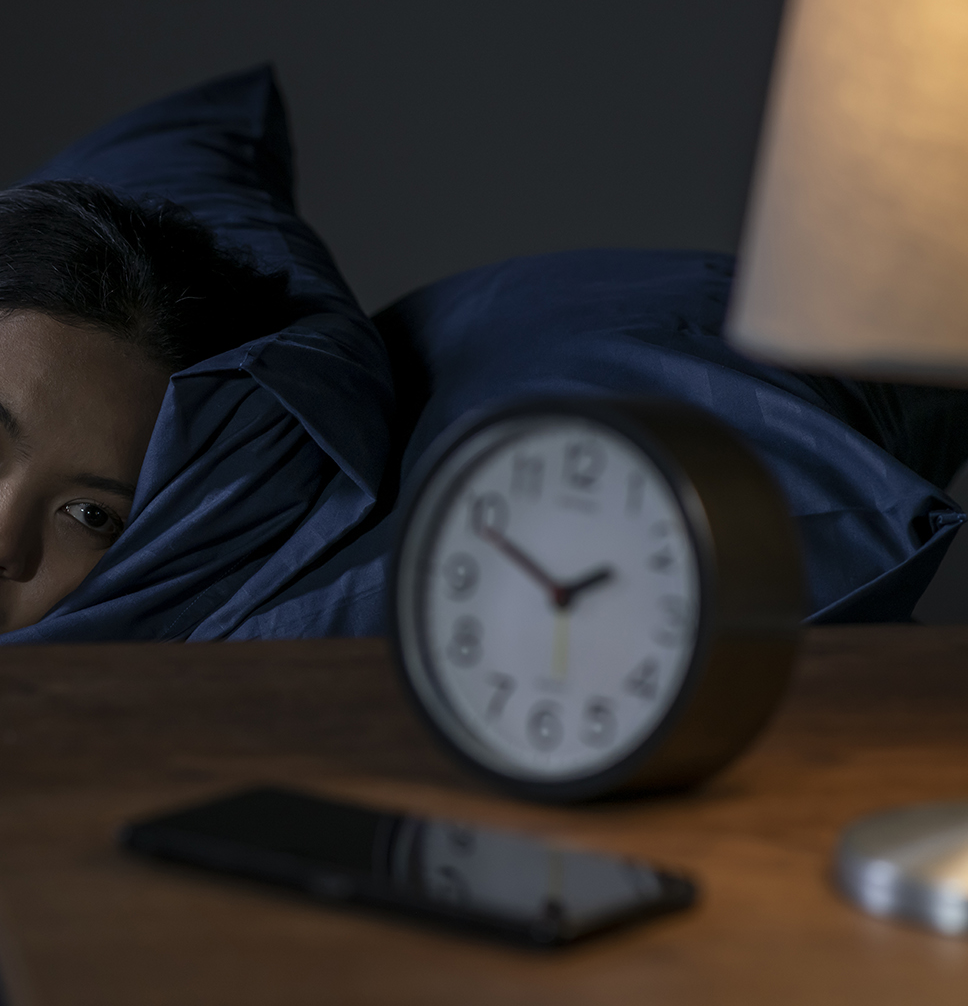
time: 1:49
